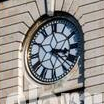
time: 3:22
